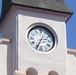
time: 2:34
